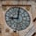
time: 9:01
